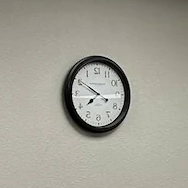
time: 7:49
